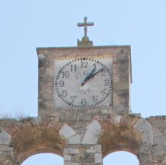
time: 1:08
